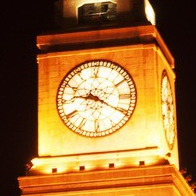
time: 9:20
